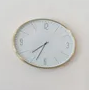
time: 7:33
